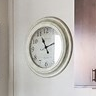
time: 11:12
